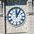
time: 12:05
